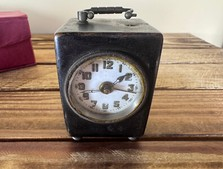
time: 1:16
